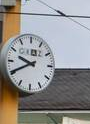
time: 9:40
